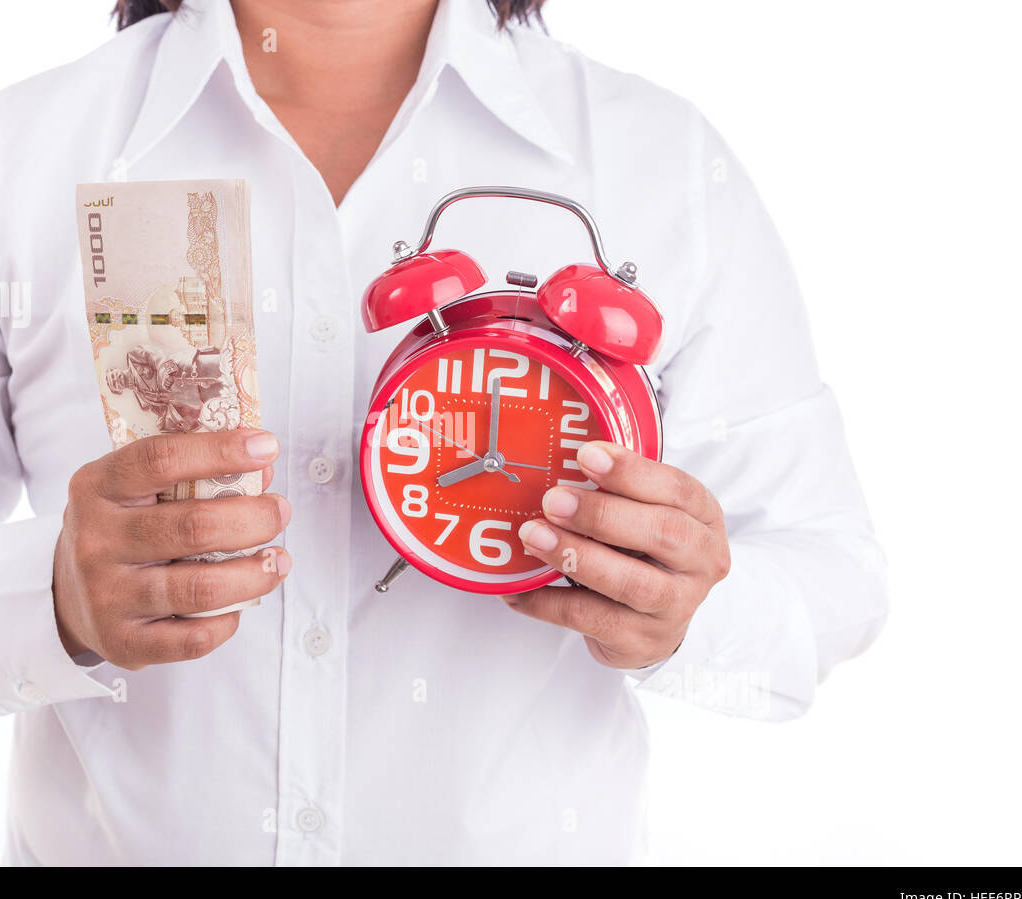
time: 8:00
